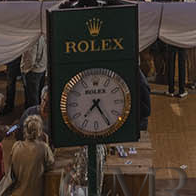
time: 7:24
